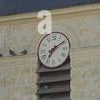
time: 7:09
